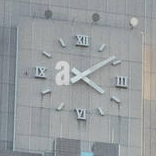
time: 4:09
